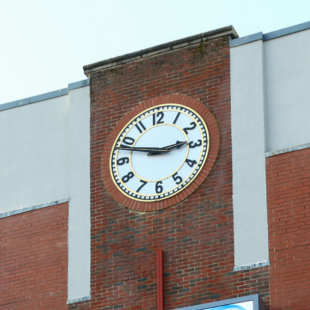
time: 2:48
